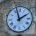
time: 1:57
